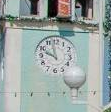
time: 9:57
